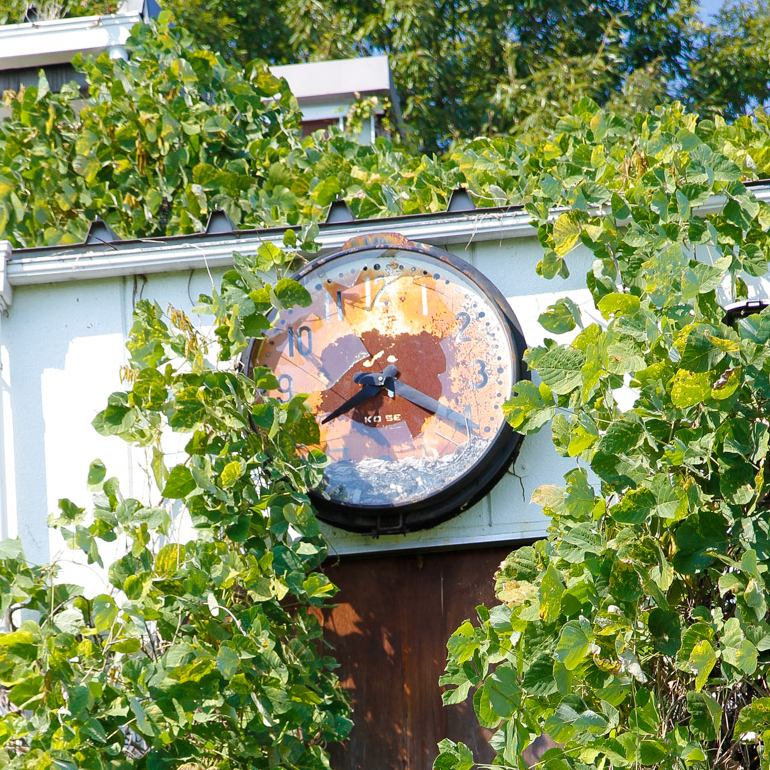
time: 8:20
